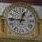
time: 12:45
